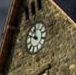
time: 11:50
